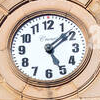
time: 5:08
